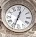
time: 12:33
